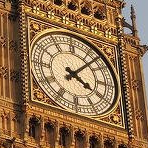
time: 4:07
